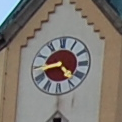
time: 4:42
